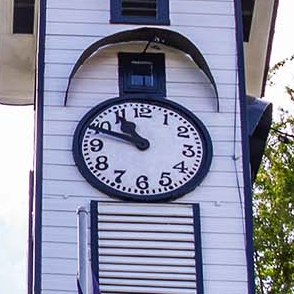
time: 10:48
